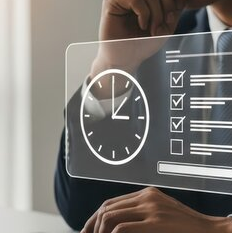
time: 2:59
